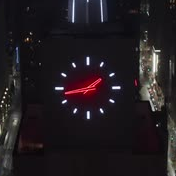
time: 1:43
